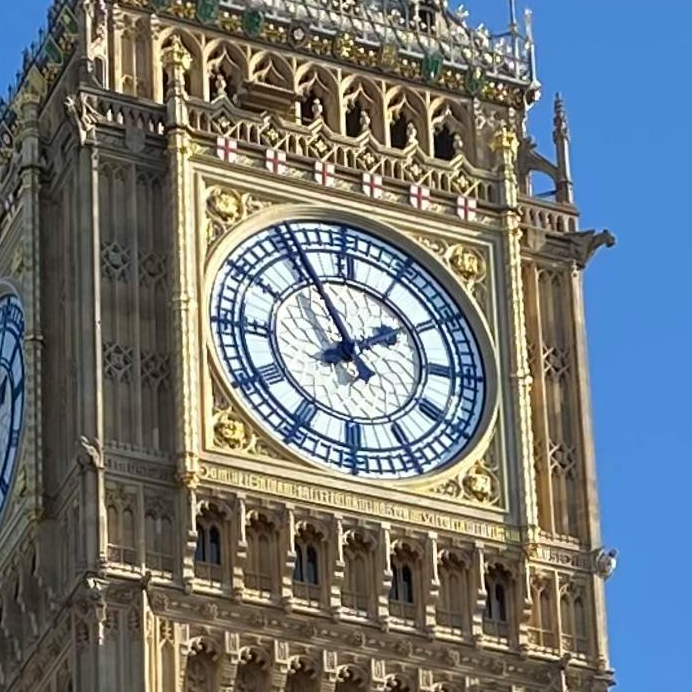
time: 1:55
